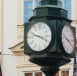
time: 3:48
